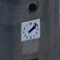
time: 2:07
